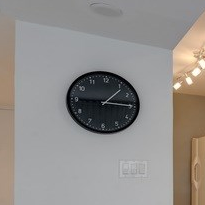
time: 1:14
